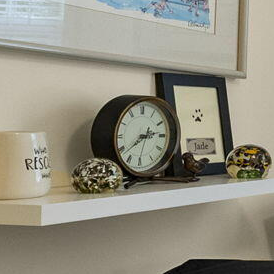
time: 2:38
